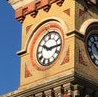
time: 10:14
